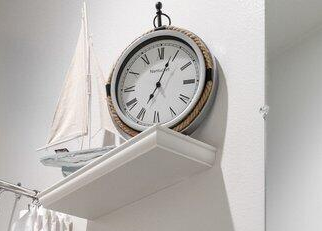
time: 7:03
